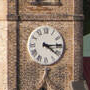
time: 4:14
